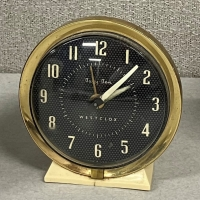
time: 9:07
